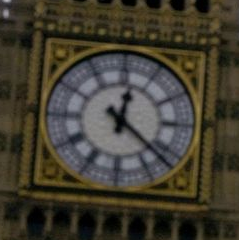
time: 12:22
